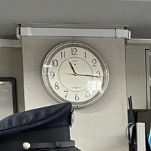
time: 11:16
